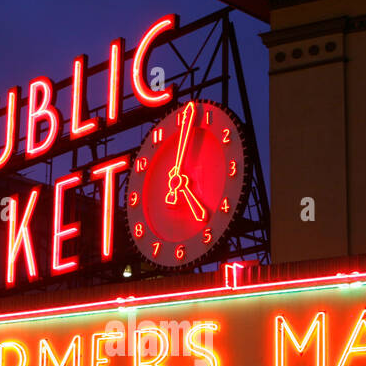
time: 4:02
